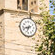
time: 8:33
